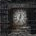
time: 12:33
